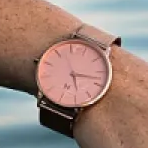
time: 3:28
